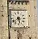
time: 5:38
